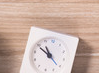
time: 10:49
